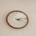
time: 4:13
